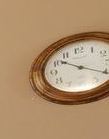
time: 10:20
